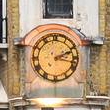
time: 2:17
